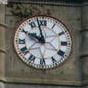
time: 9:57
